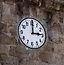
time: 3:00
